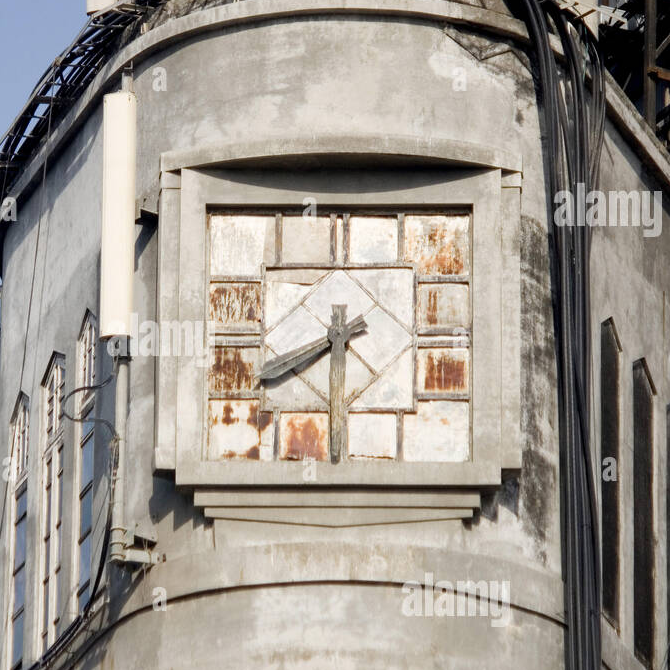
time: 7:40
